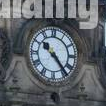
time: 10:23
